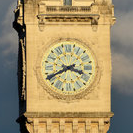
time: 3:40
